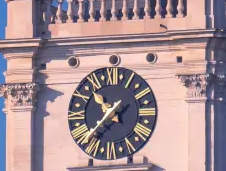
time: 10:37
